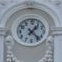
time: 1:22
